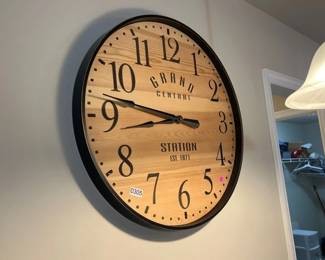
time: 8:46
